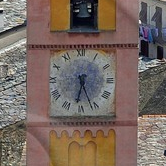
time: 6:26
